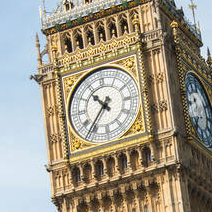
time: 10:36
